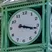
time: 3:17
